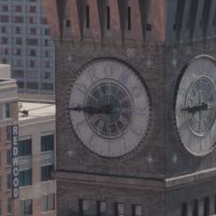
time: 8:44
